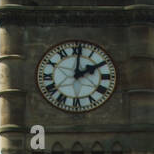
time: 2:00
